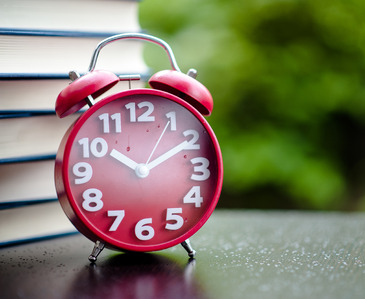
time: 10:10
